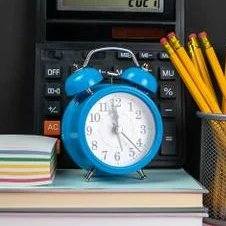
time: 11:59
